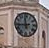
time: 11:43
